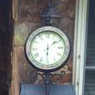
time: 6:08
